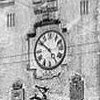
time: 4:51
